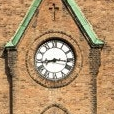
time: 8:16
